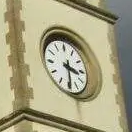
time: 3:29
